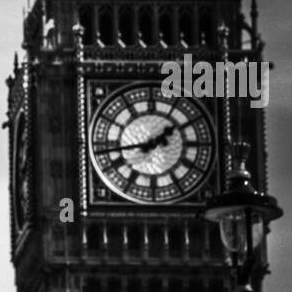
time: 1:43
